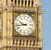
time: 9:43
